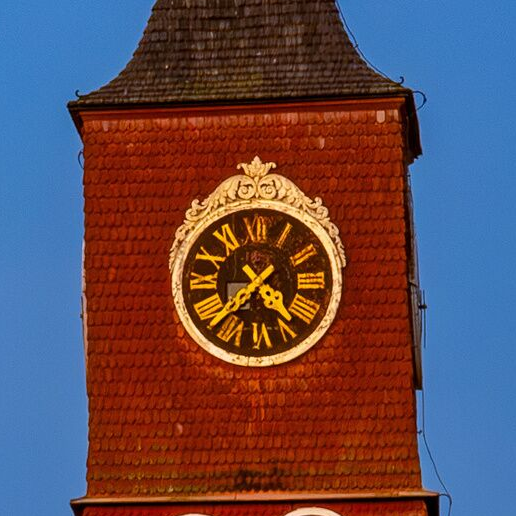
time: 4:37
